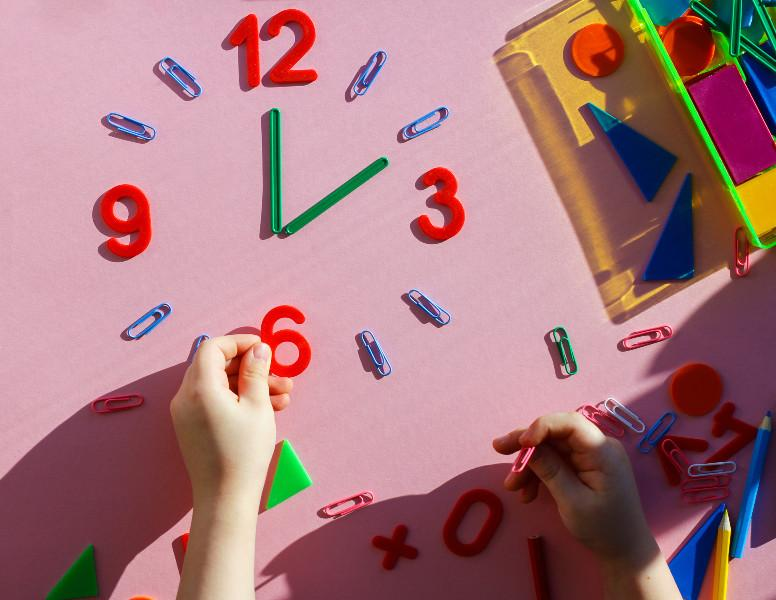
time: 12:10
